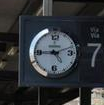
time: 9:12
